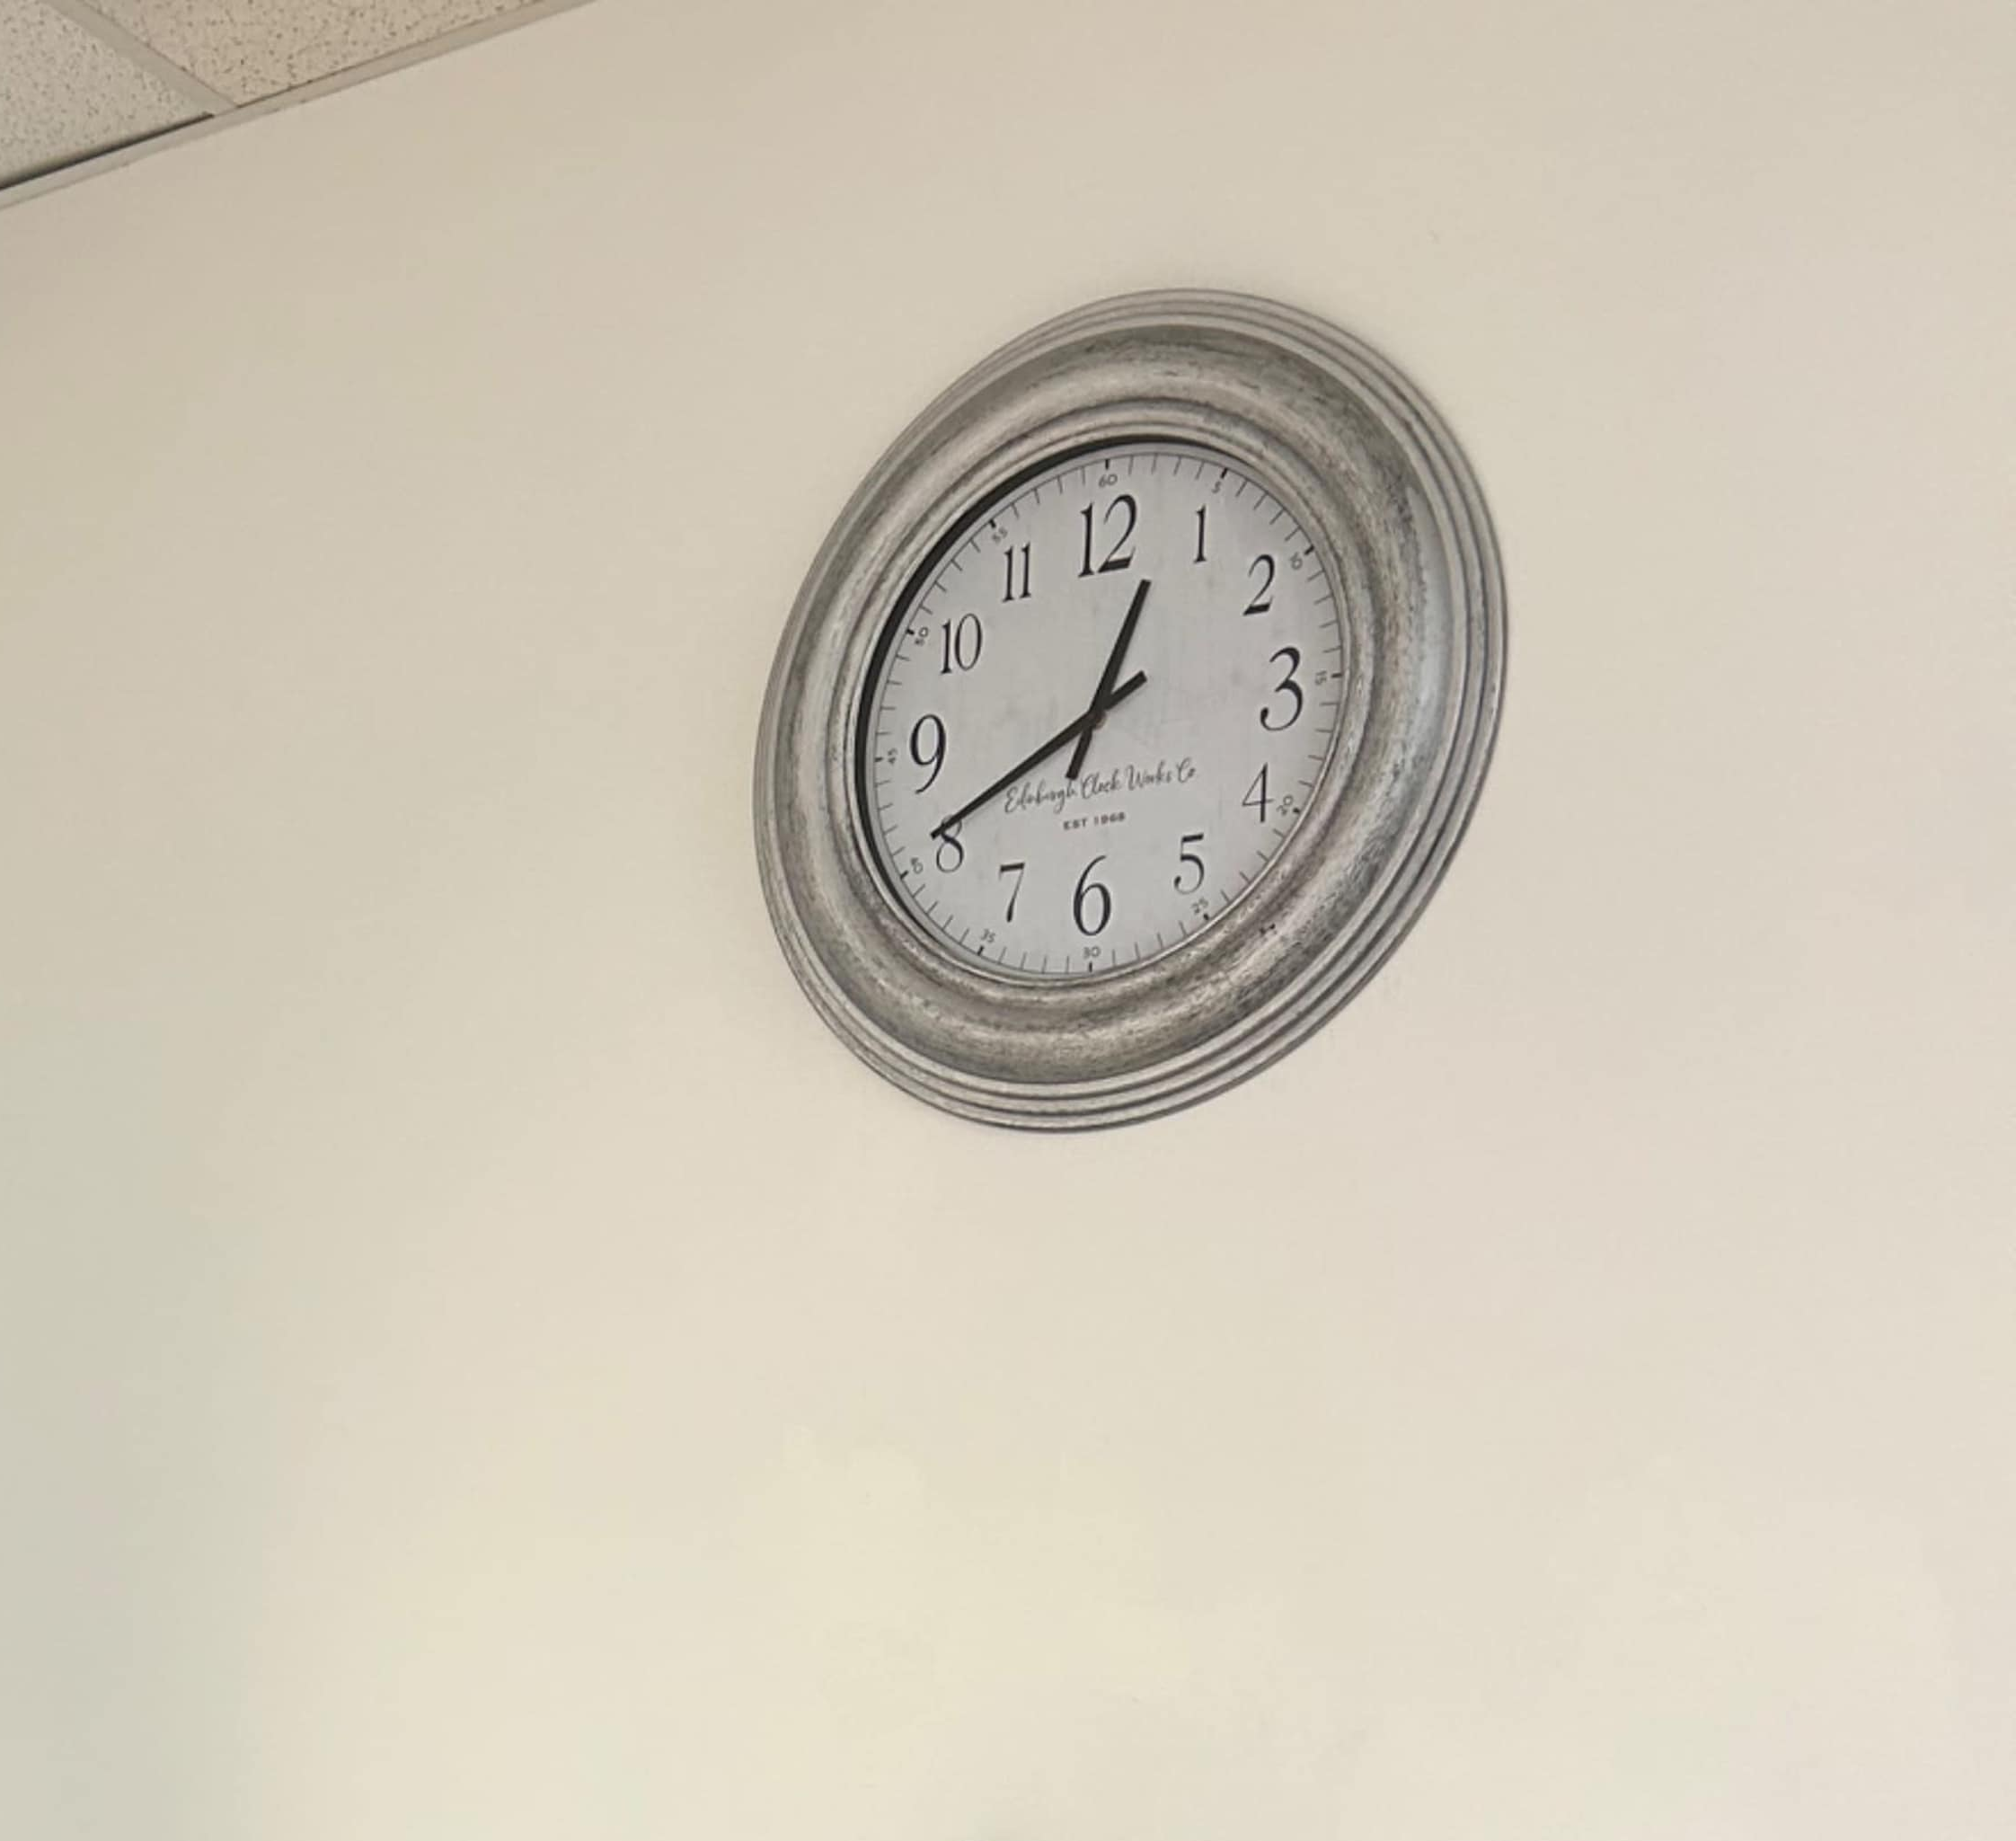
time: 12:41
